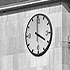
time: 3:59
